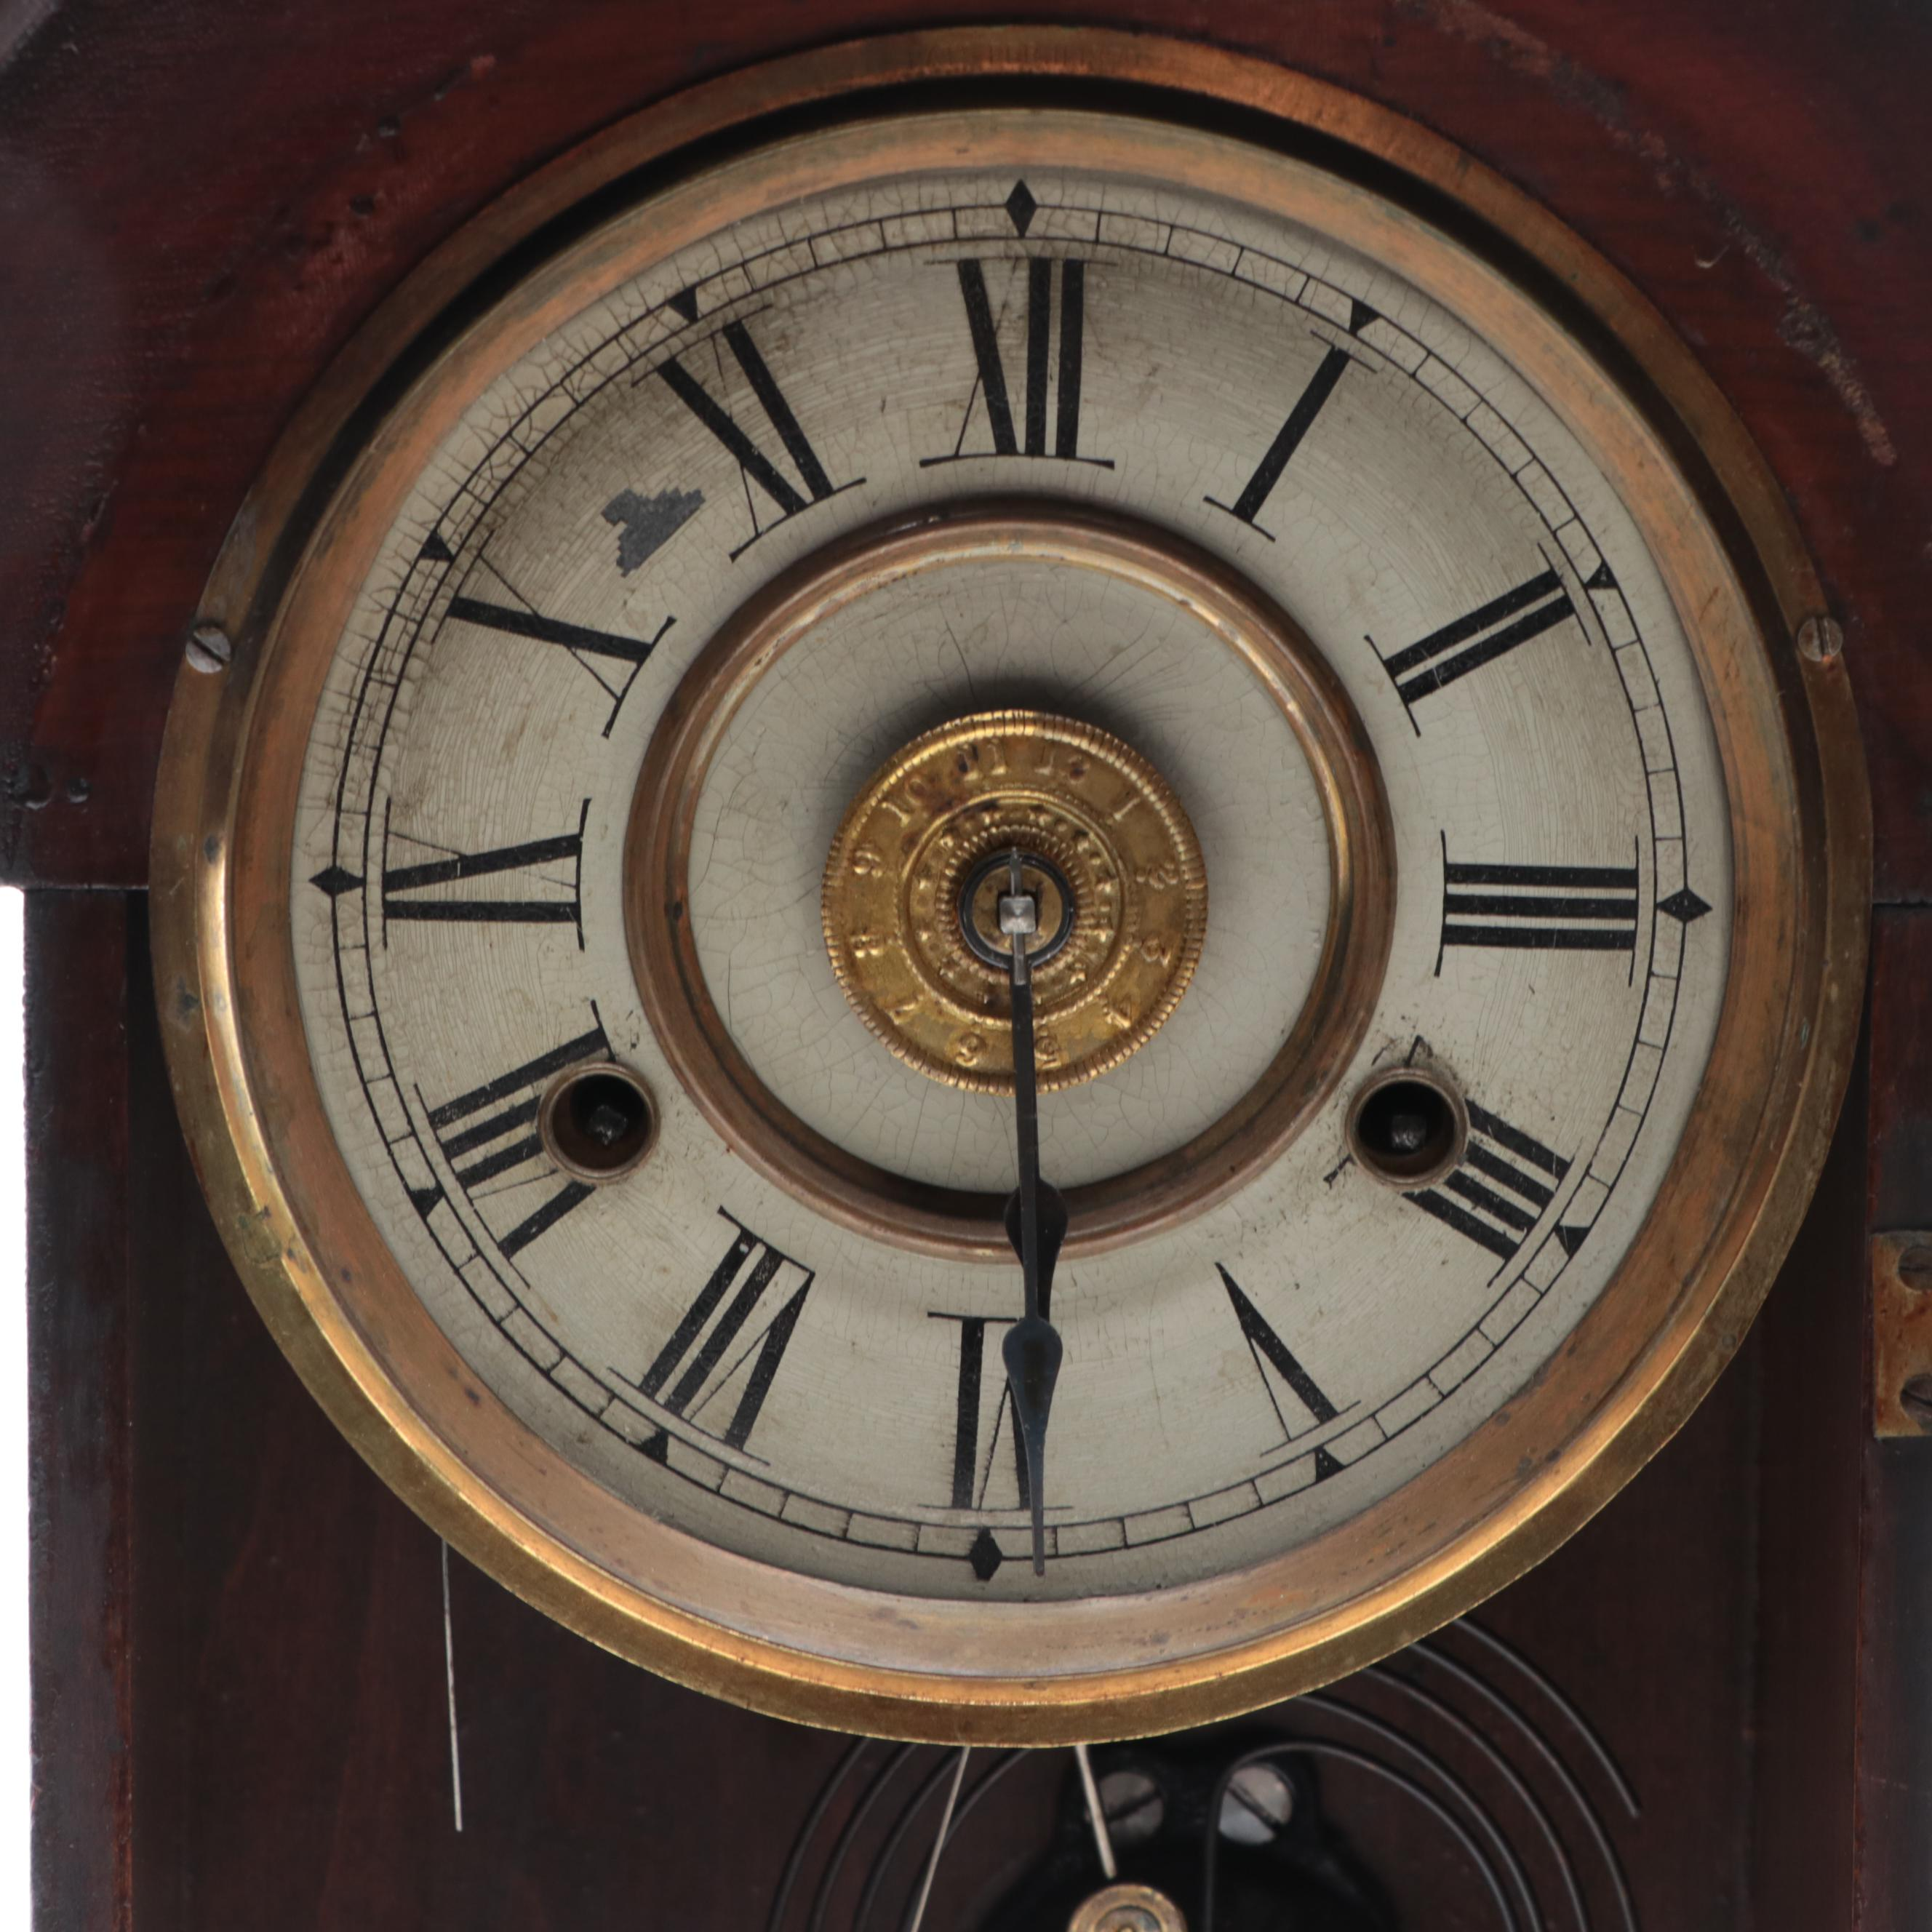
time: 5:29
